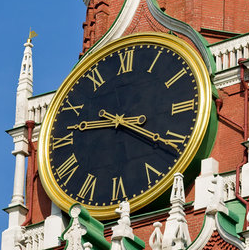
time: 9:20
